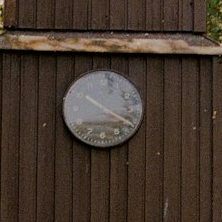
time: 10:20
